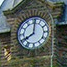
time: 8:01
